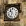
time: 10:32
